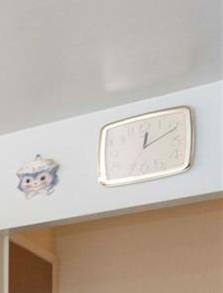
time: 12:10
